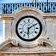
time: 6:10
